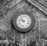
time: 10:47
